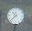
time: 10:37
